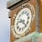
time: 9:22
